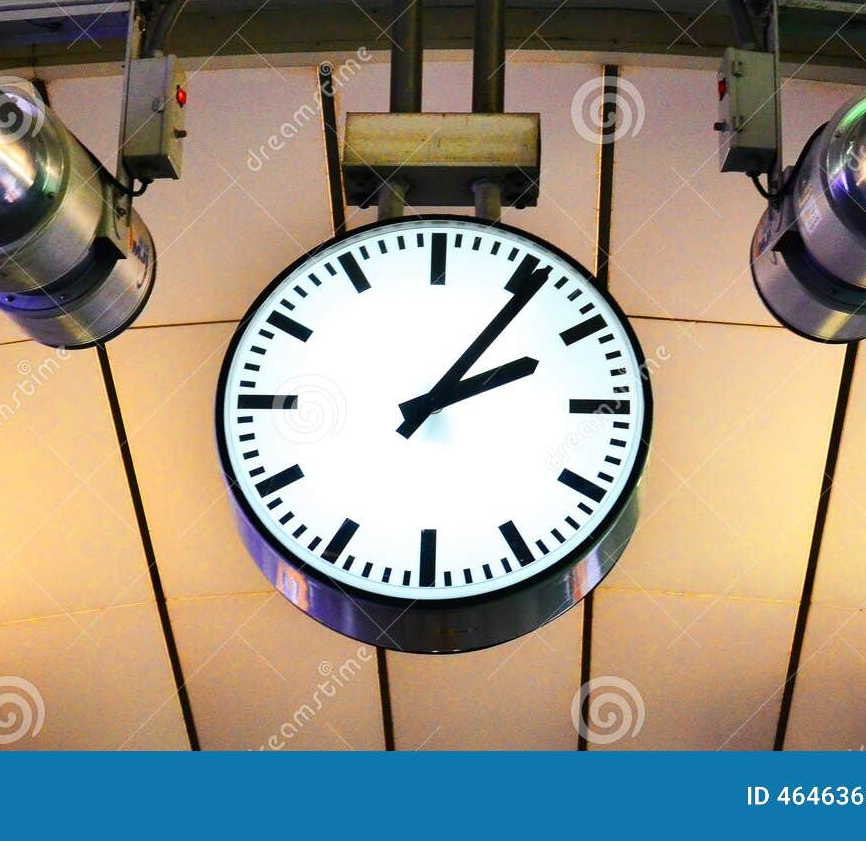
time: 2:06
